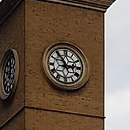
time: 2:54
